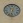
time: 12:32
